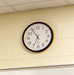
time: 6:54
